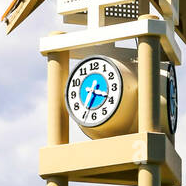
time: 3:34
